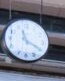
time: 11:19
